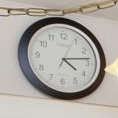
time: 4:13
